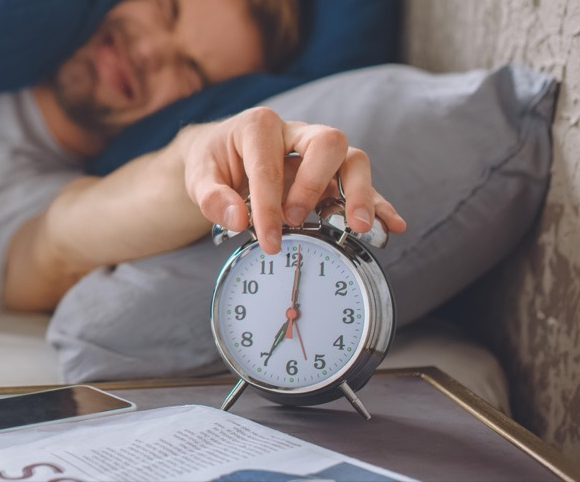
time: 7:01
